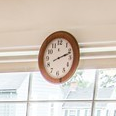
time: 2:11
